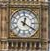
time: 12:20
